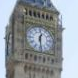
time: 12:28
